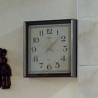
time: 12:07
